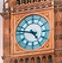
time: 4:46
